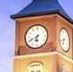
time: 6:41
